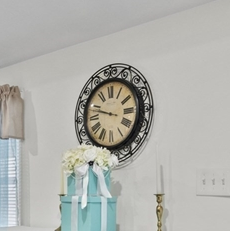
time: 9:48
